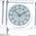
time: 1:52
